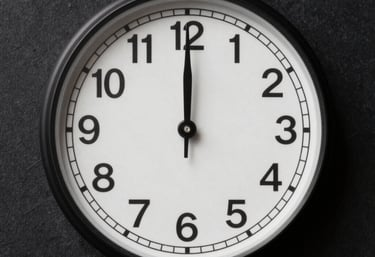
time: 12:00
